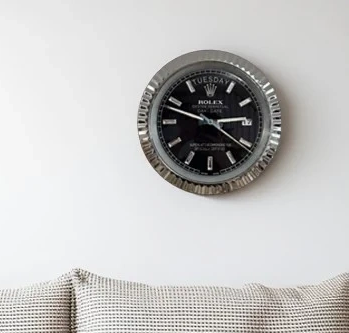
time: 2:48
